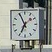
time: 6:55
